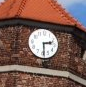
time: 2:29
